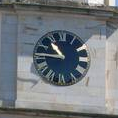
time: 10:45
